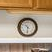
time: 10:32
